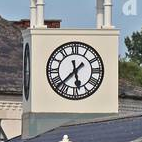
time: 5:37
